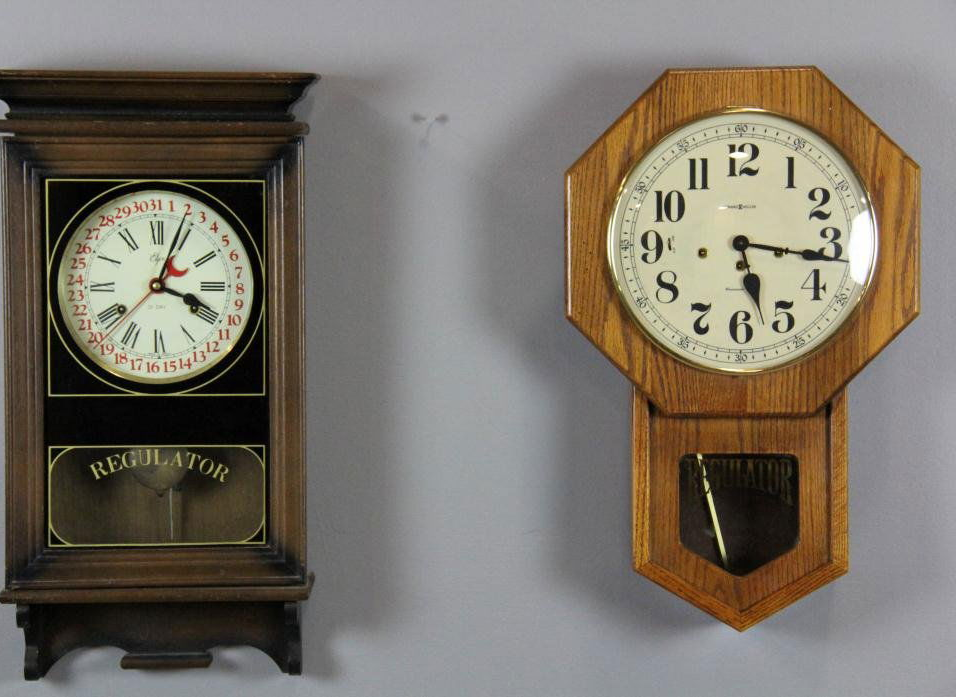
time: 5:16
